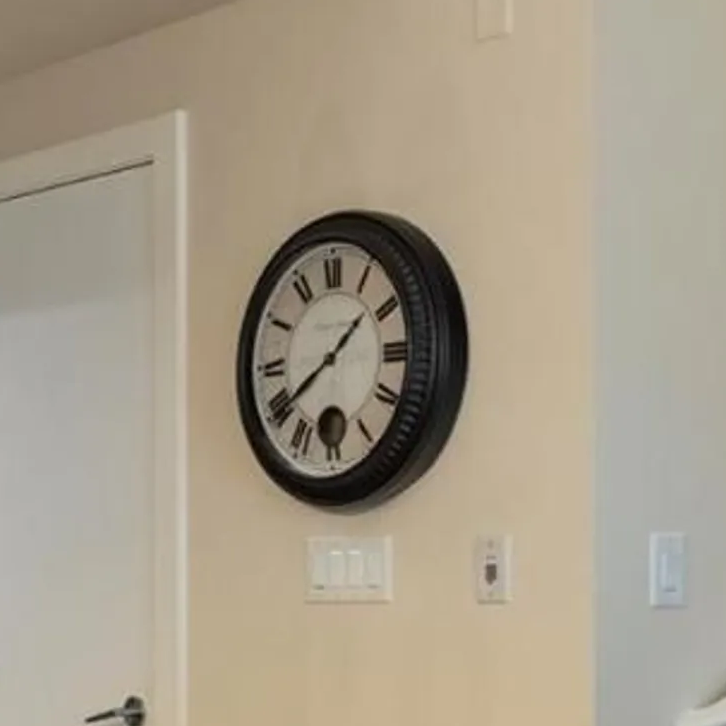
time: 1:39
